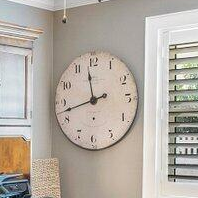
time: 11:42
